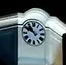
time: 10:50
